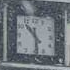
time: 10:28
